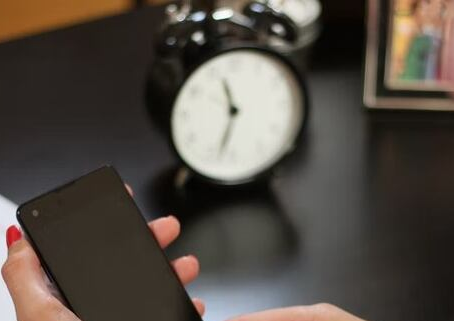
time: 11:32
